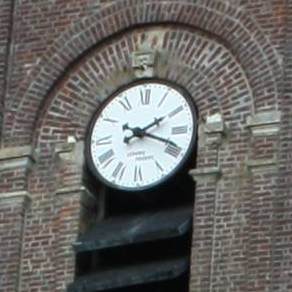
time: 2:18
